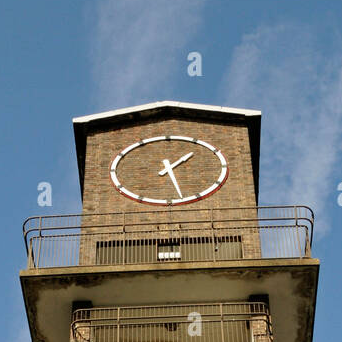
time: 1:27
